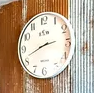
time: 2:41
